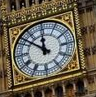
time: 11:51
